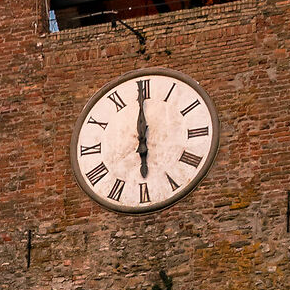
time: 5:59
